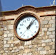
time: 1:07
